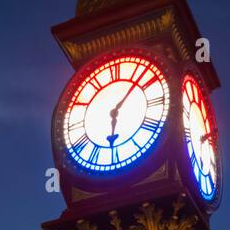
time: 6:07
